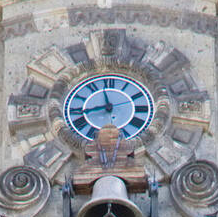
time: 11:42
